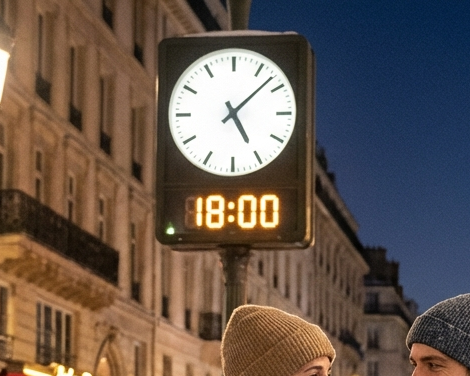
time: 5:07
